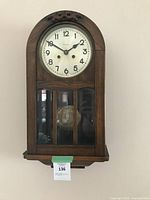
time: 1:50
